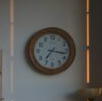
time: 7:16
